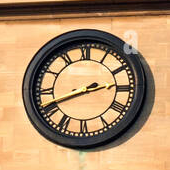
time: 2:41
